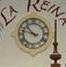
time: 10:47
